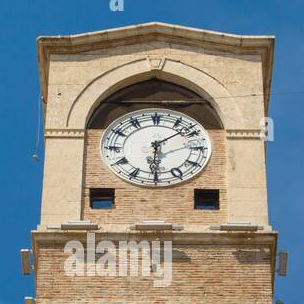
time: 6:08
